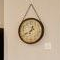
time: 12:40
